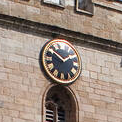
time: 1:50
